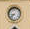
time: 8:38
